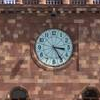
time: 3:24
